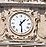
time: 1:29
